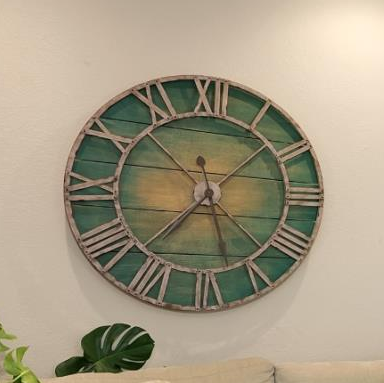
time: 7:27
